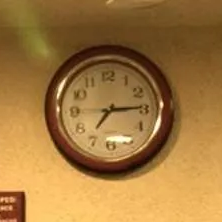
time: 7:14
